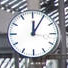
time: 12:05
